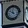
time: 11:51
